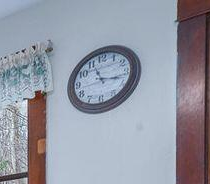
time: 11:17
